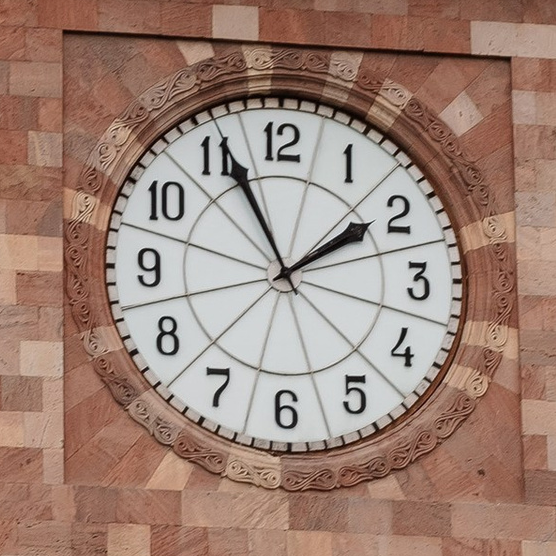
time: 1:55
